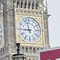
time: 8:57
